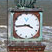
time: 3:43
